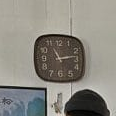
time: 11:13
